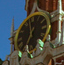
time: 11:35
